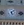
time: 5:08
